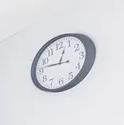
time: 12:46
